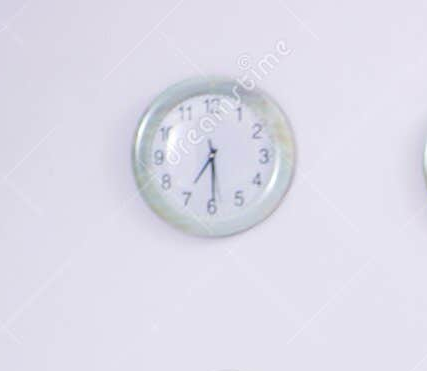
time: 11:29
